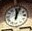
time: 12:03
